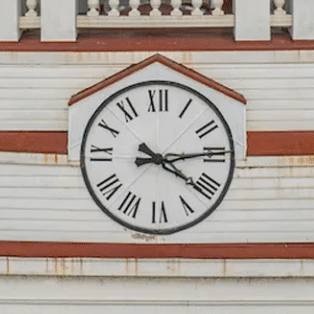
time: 4:13
